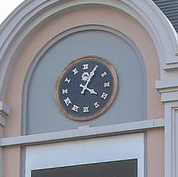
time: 4:04
